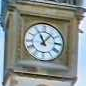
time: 11:07
